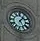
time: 1:24
